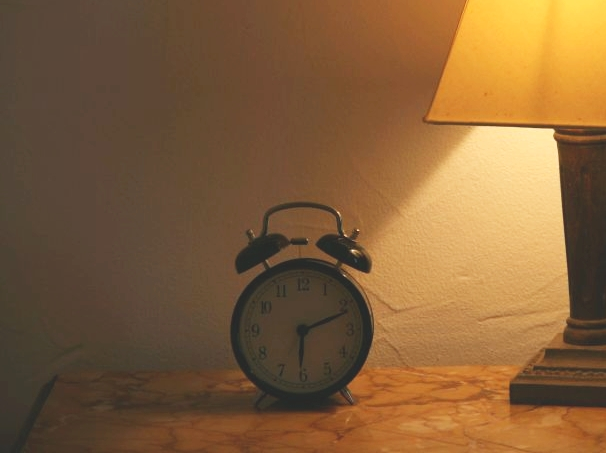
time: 6:11
